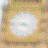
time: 3:43
